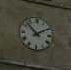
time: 1:52
